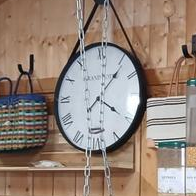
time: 4:06
